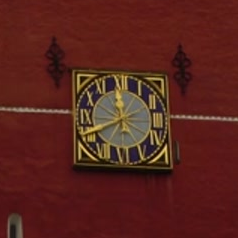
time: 11:41
